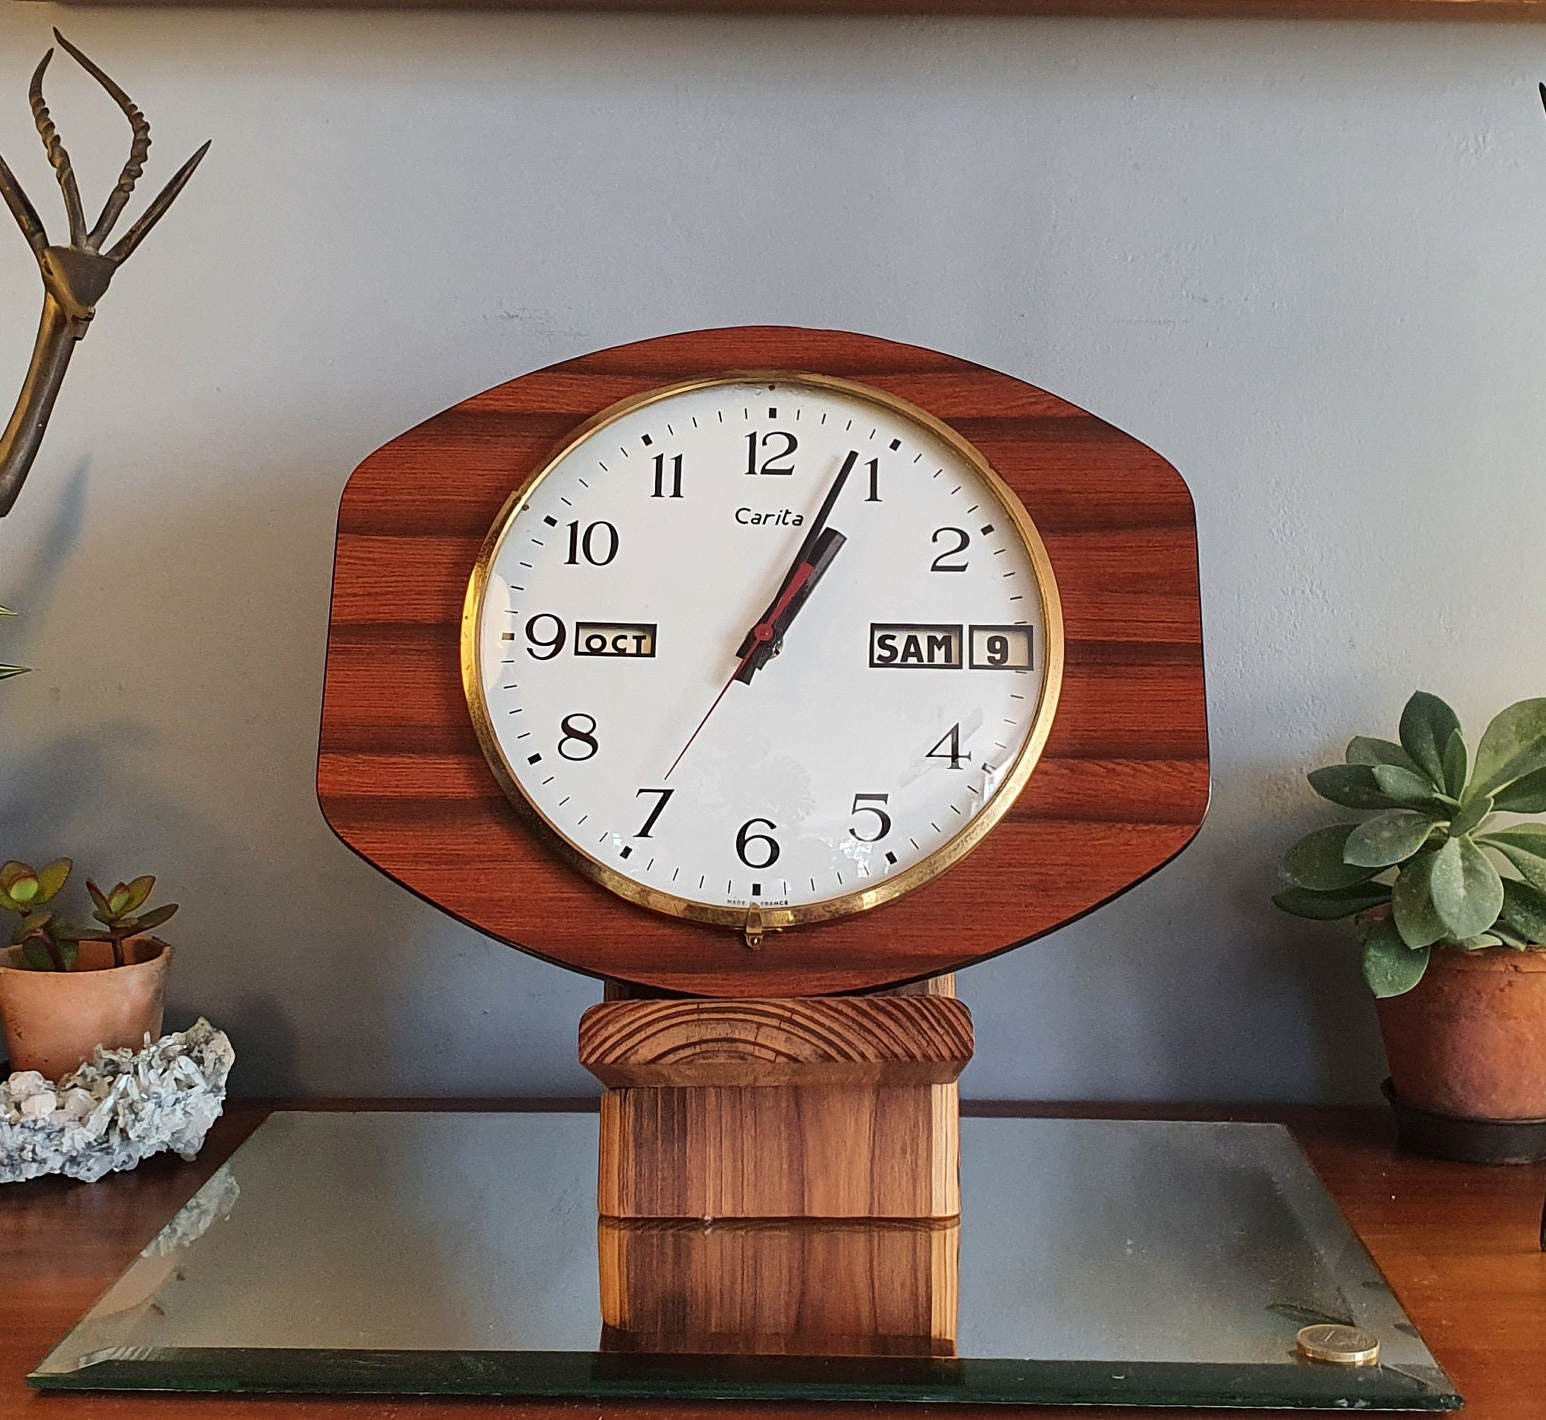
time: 1:03
